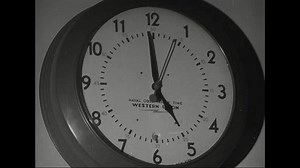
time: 4:59
